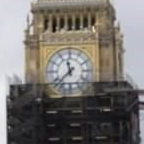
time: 11:37
